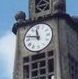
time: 11:47
